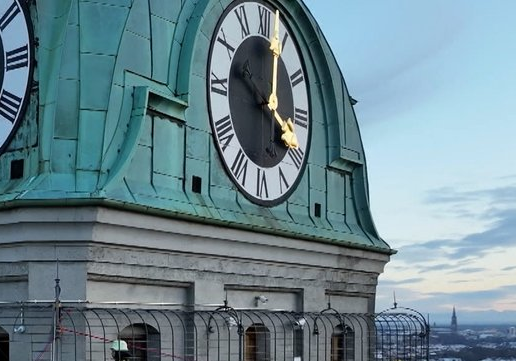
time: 3:48
